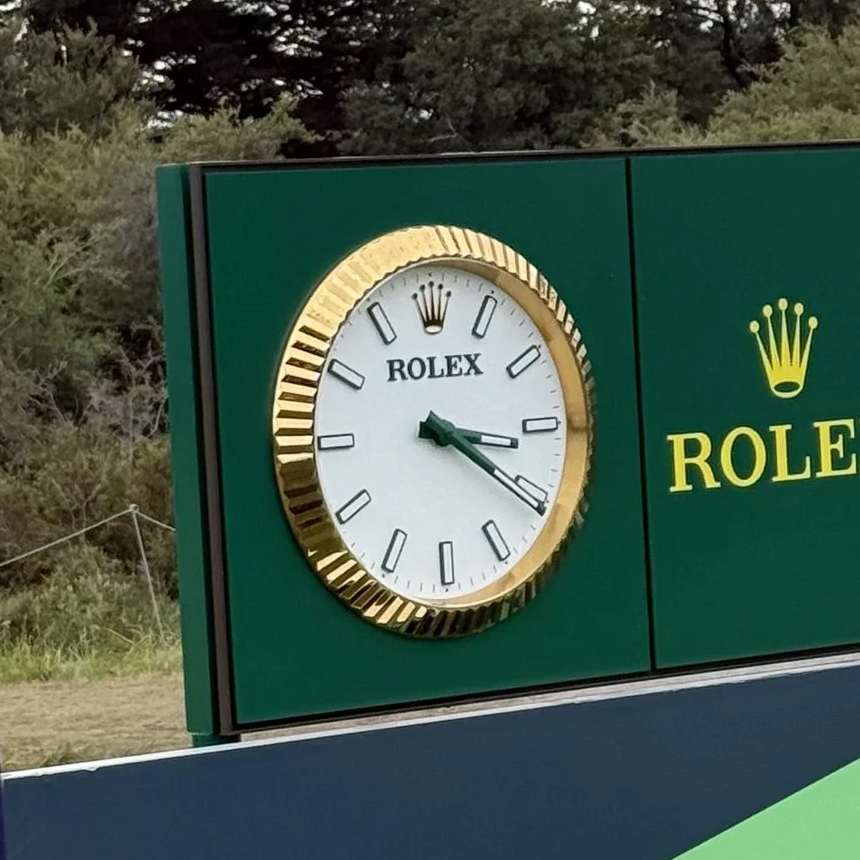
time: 3:20
